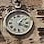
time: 1:18
